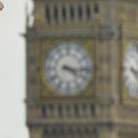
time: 4:16
